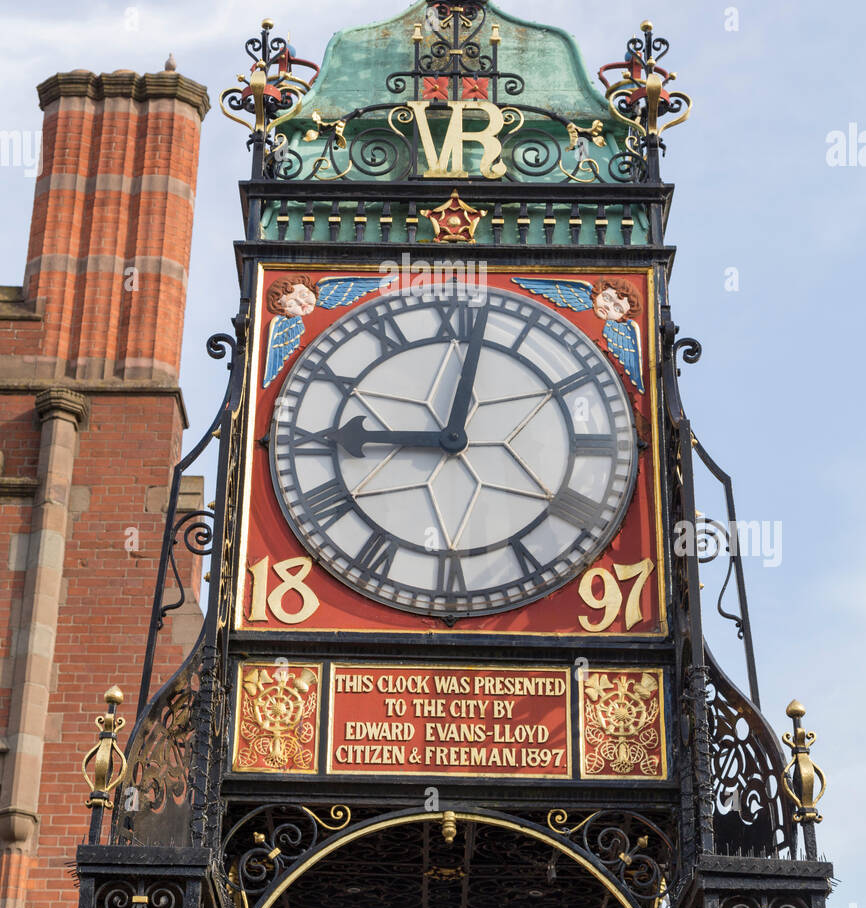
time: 9:01
